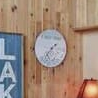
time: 1:36
